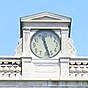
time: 11:27
